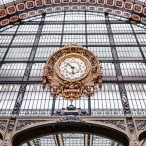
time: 5:51
